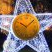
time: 10:07
